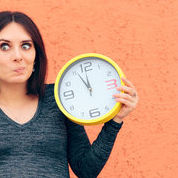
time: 11:55
